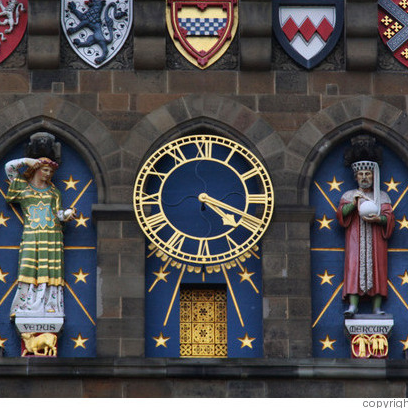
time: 4:18
